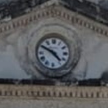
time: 4:49
